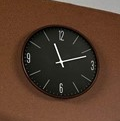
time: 11:11
